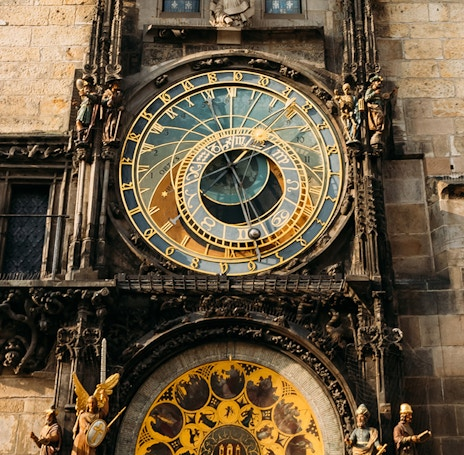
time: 1:26
